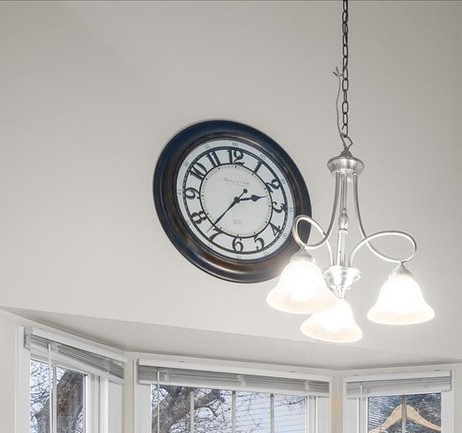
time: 2:36
